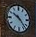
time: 10:23
